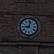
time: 9:02
